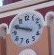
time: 9:48
